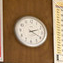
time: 2:19
